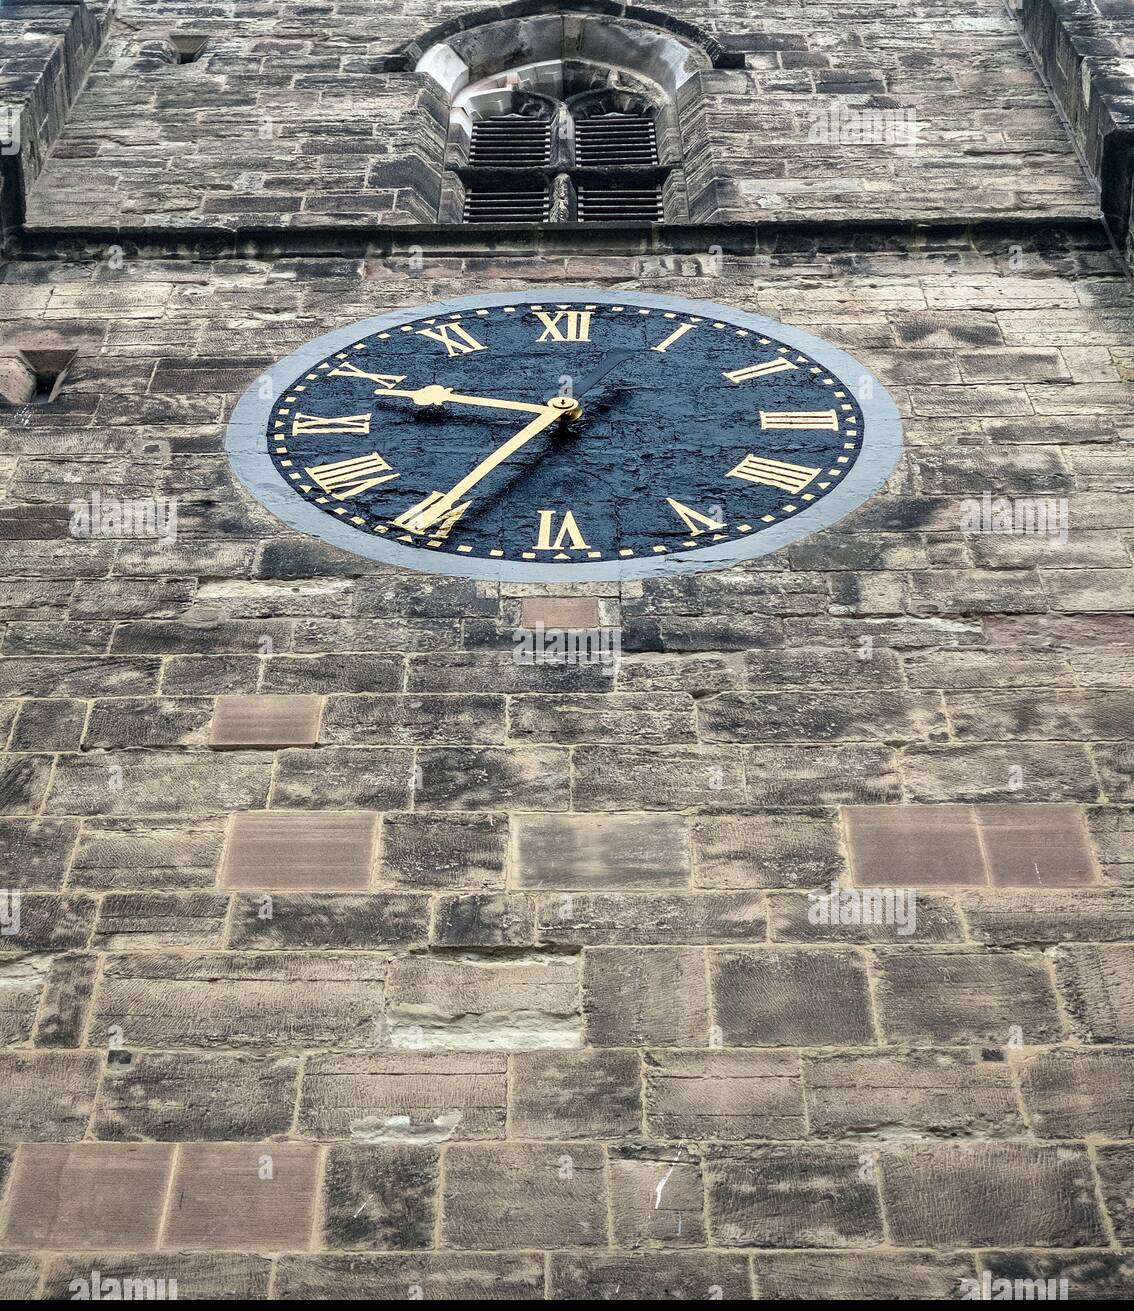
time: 9:34
